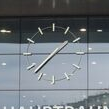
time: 1:37
